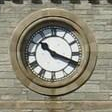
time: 10:18
